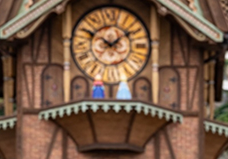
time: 1:50
